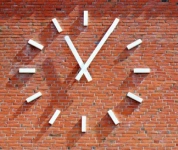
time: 11:05
